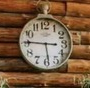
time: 5:45
